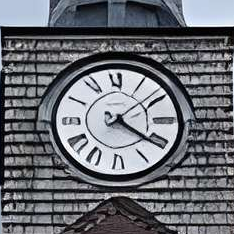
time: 4:08
